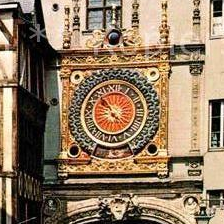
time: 8:53
